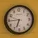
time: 6:44
